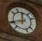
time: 11:41
